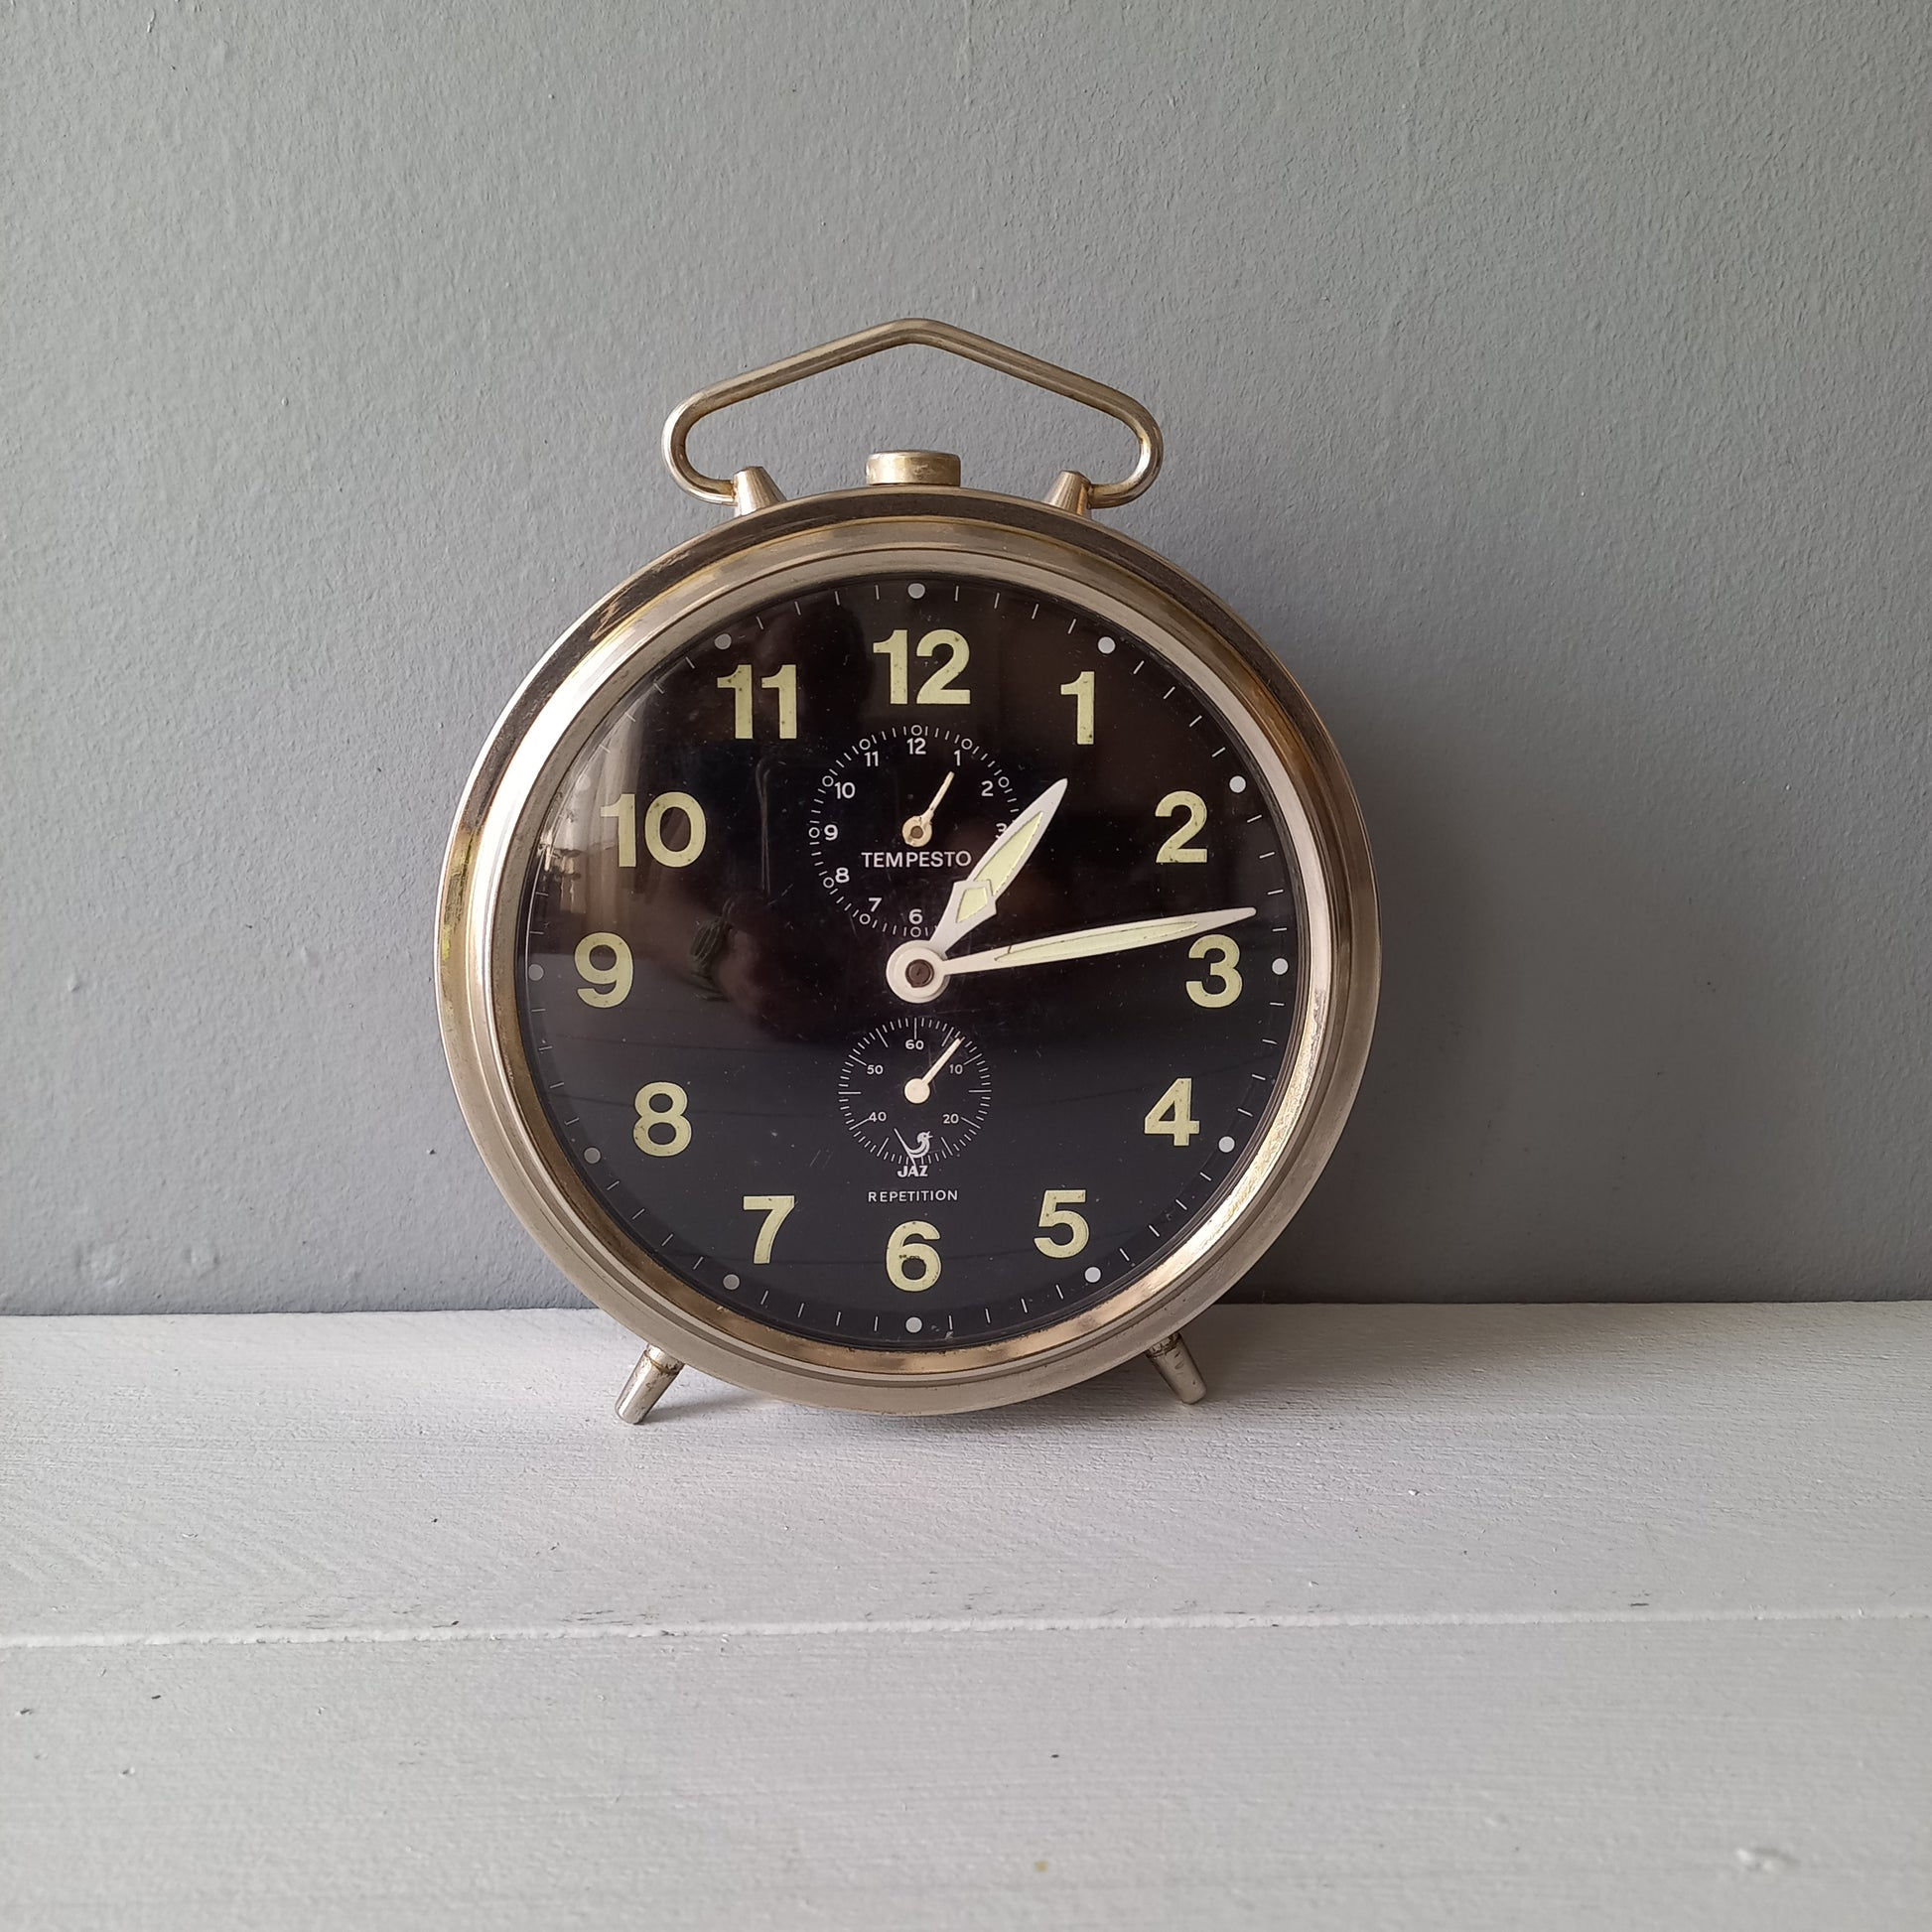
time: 1:13
